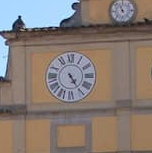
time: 4:24
